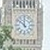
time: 11:51
